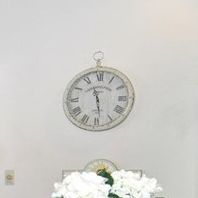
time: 11:28
